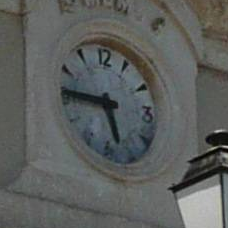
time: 5:45
